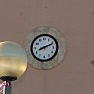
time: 2:11
